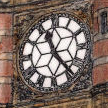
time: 11:23
